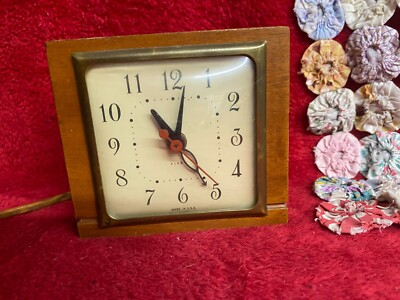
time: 12:24
